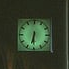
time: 6:30
